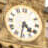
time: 4:31
